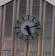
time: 5:12
